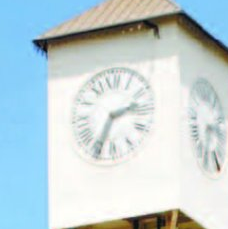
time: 2:34
